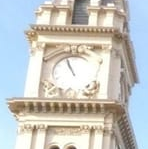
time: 10:56
